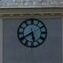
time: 5:40
